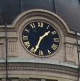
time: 1:33
